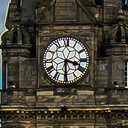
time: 3:30
